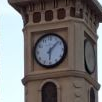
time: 6:07
